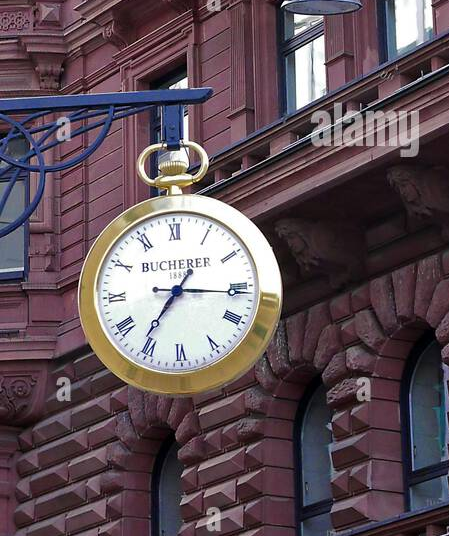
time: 7:15
